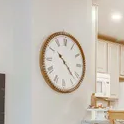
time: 10:22
